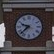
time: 9:38
